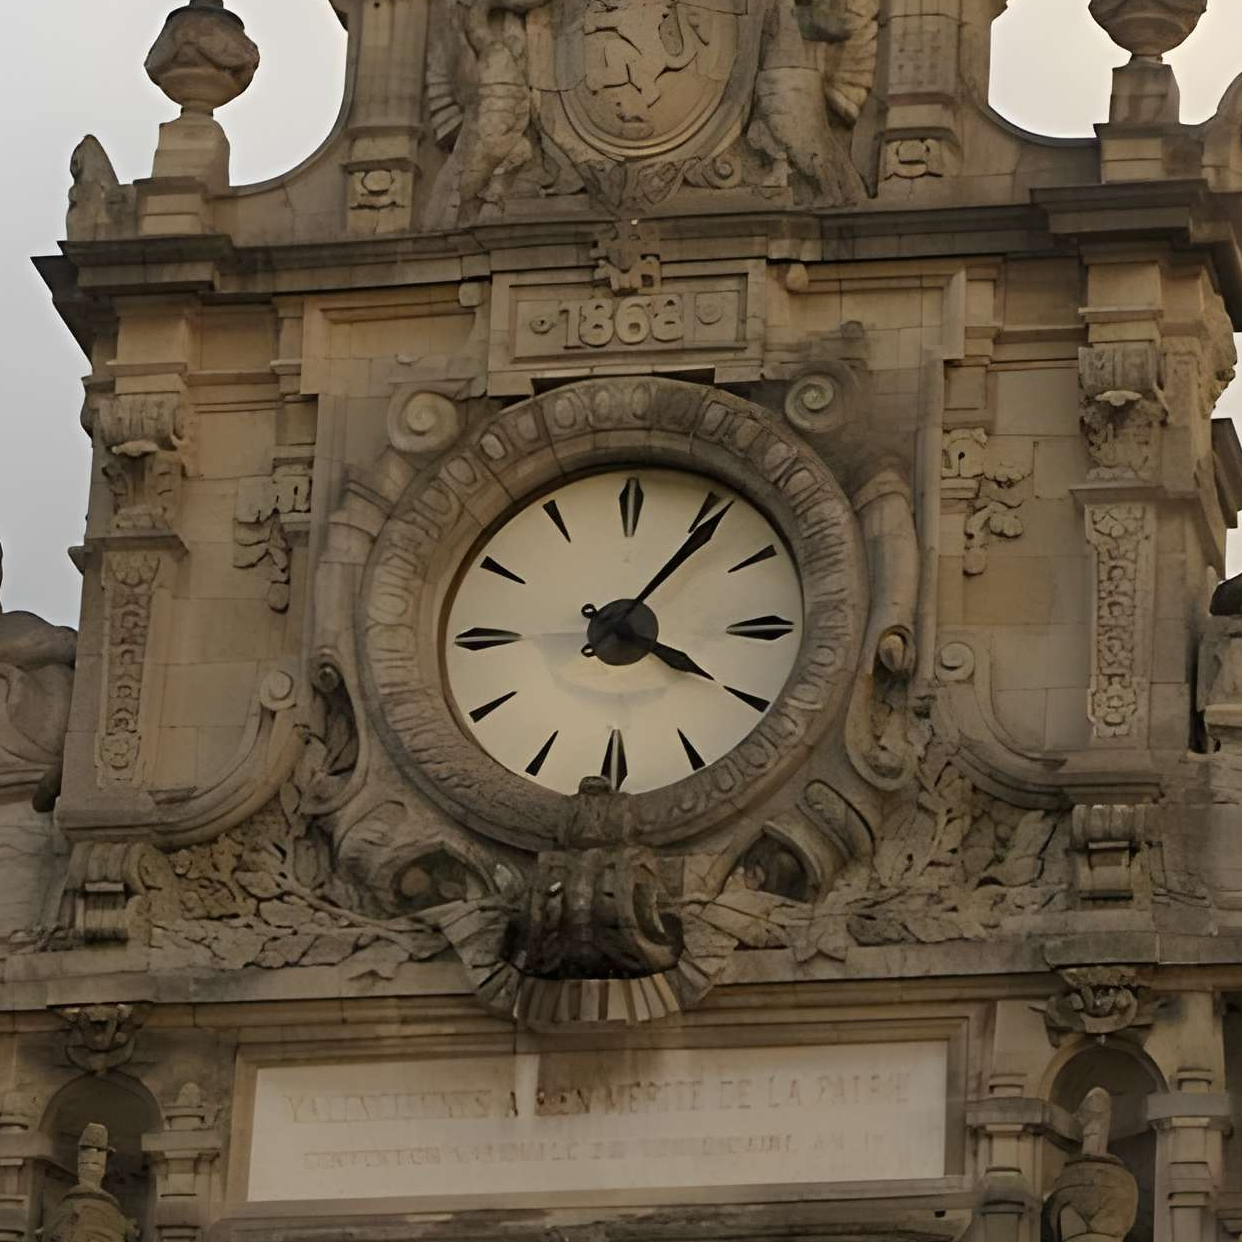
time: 4:06
